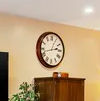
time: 2:42
